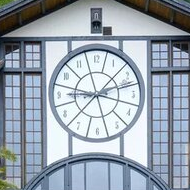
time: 9:12
